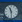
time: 11:29
